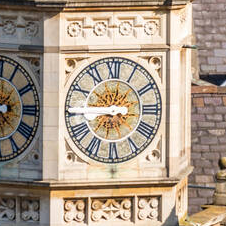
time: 9:01
